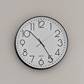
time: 10:24
